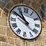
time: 10:50
